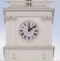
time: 12:08
